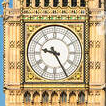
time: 9:25
